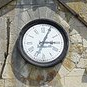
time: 3:04
